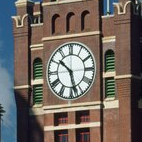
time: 10:28
